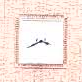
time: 3:40
